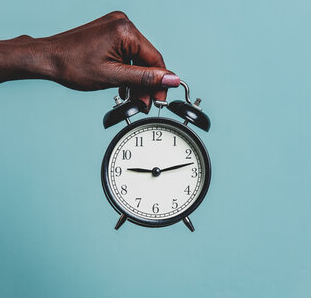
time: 9:12
